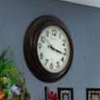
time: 3:16
